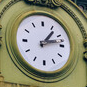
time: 1:12
